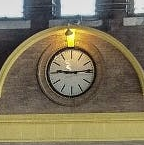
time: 9:13
